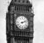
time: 2:11
